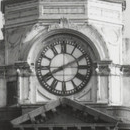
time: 8:10
